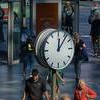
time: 12:06
